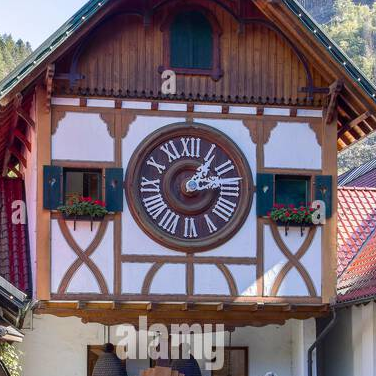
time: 1:13
